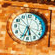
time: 5:33
